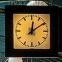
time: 12:09
